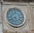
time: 5:40
